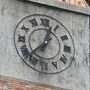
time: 12:37
